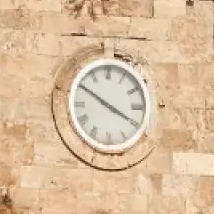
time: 3:50
